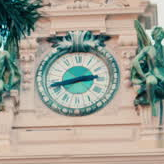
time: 2:42
